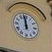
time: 11:58
